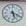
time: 5:18
